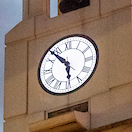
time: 5:53
